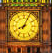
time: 8:04
